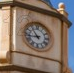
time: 10:43
